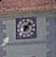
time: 7:07
